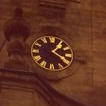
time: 1:20
